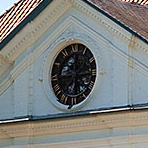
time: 7:14
